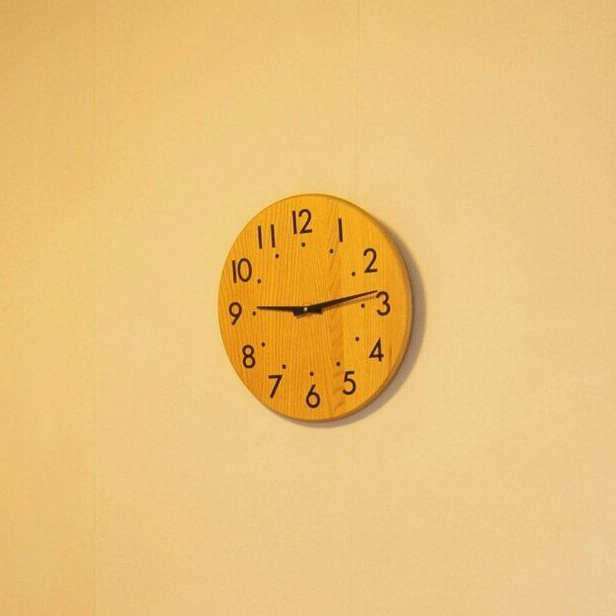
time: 9:13
